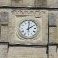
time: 2:01
